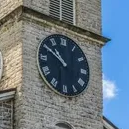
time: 10:50
